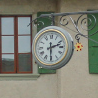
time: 2:30
